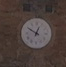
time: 12:49
